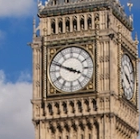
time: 3:48
